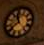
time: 11:40
